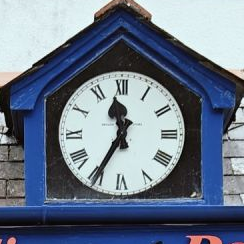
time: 11:34
